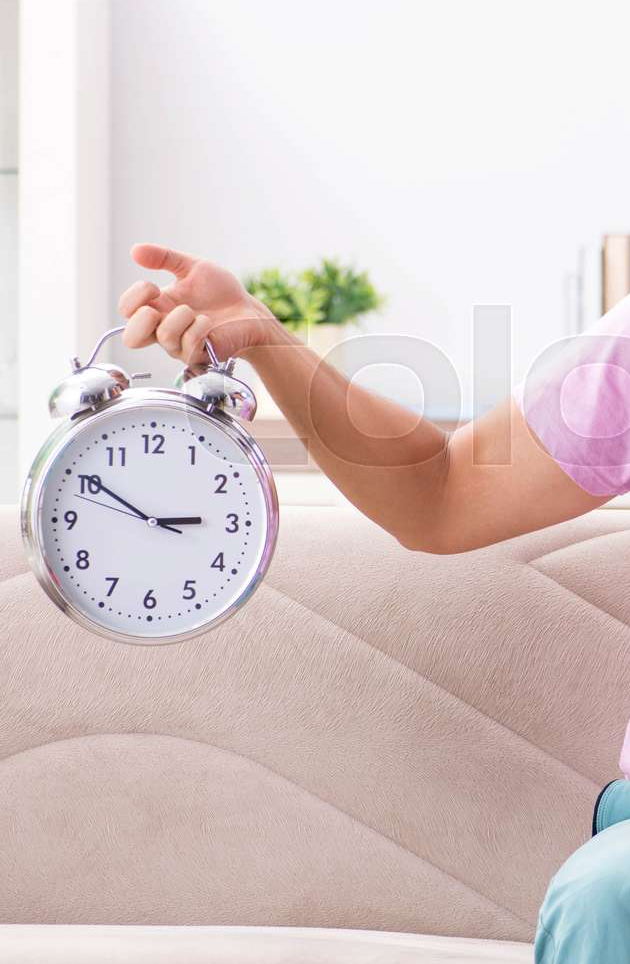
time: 2:50
